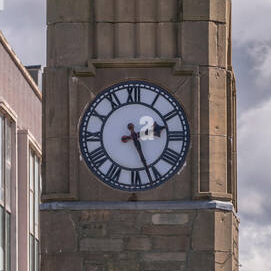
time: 2:26
